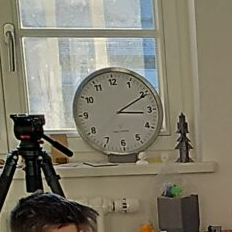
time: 3:10
